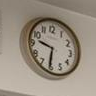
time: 9:31
